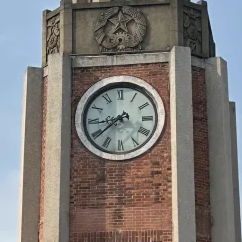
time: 8:38
